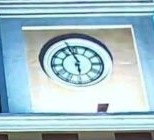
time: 5:57
